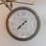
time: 7:37
